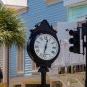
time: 12:32
